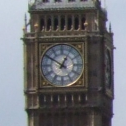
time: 12:50
